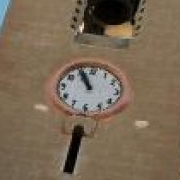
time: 10:56
